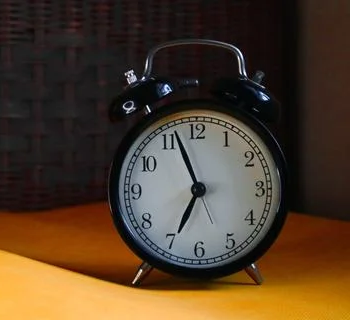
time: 6:56
